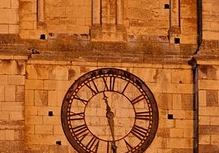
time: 11:28
